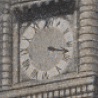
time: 3:17
